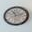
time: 11:12
